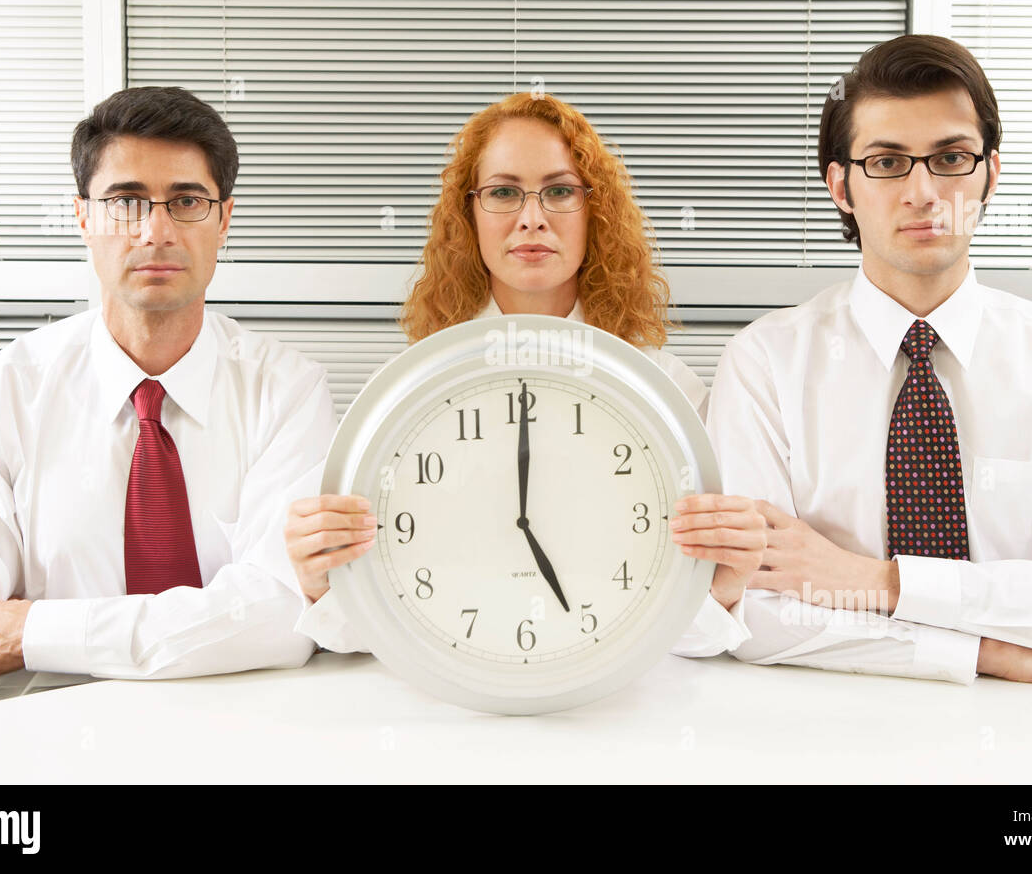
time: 5:00
